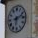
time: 6:12
